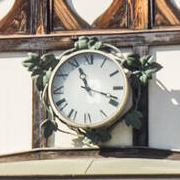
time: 11:18
